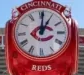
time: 1:01
